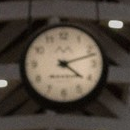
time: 4:12
